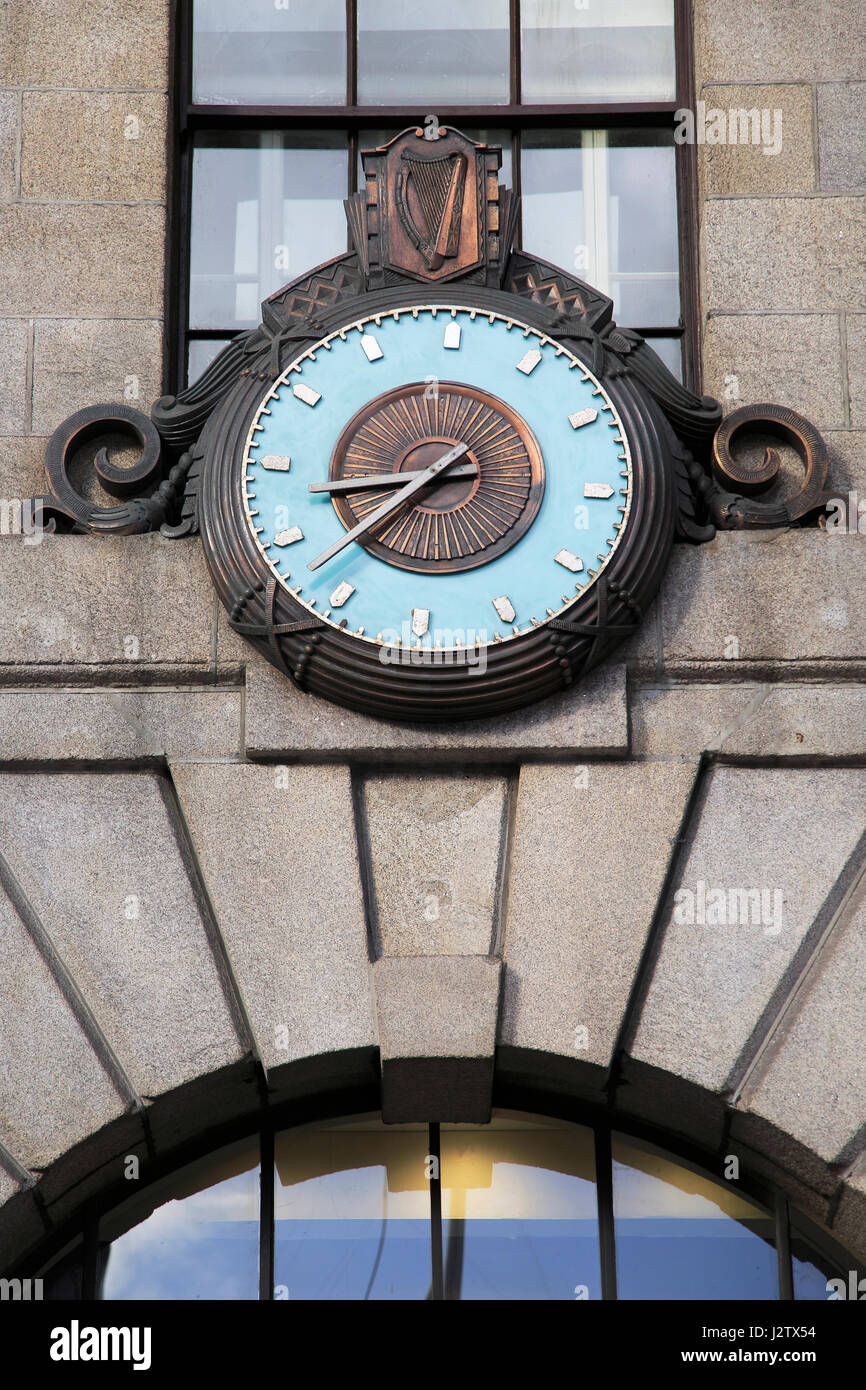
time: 8:37
